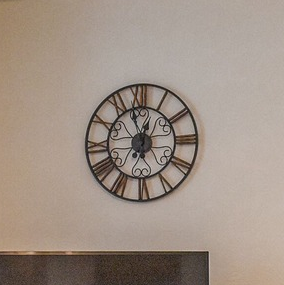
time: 12:57
